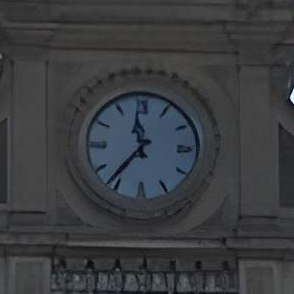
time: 11:36
